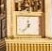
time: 11:37
